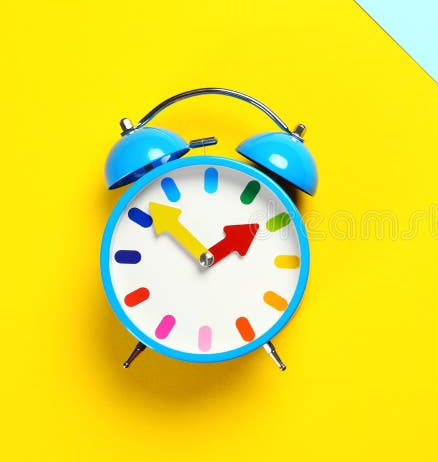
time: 1:51
